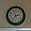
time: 2:35
